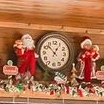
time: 12:52
